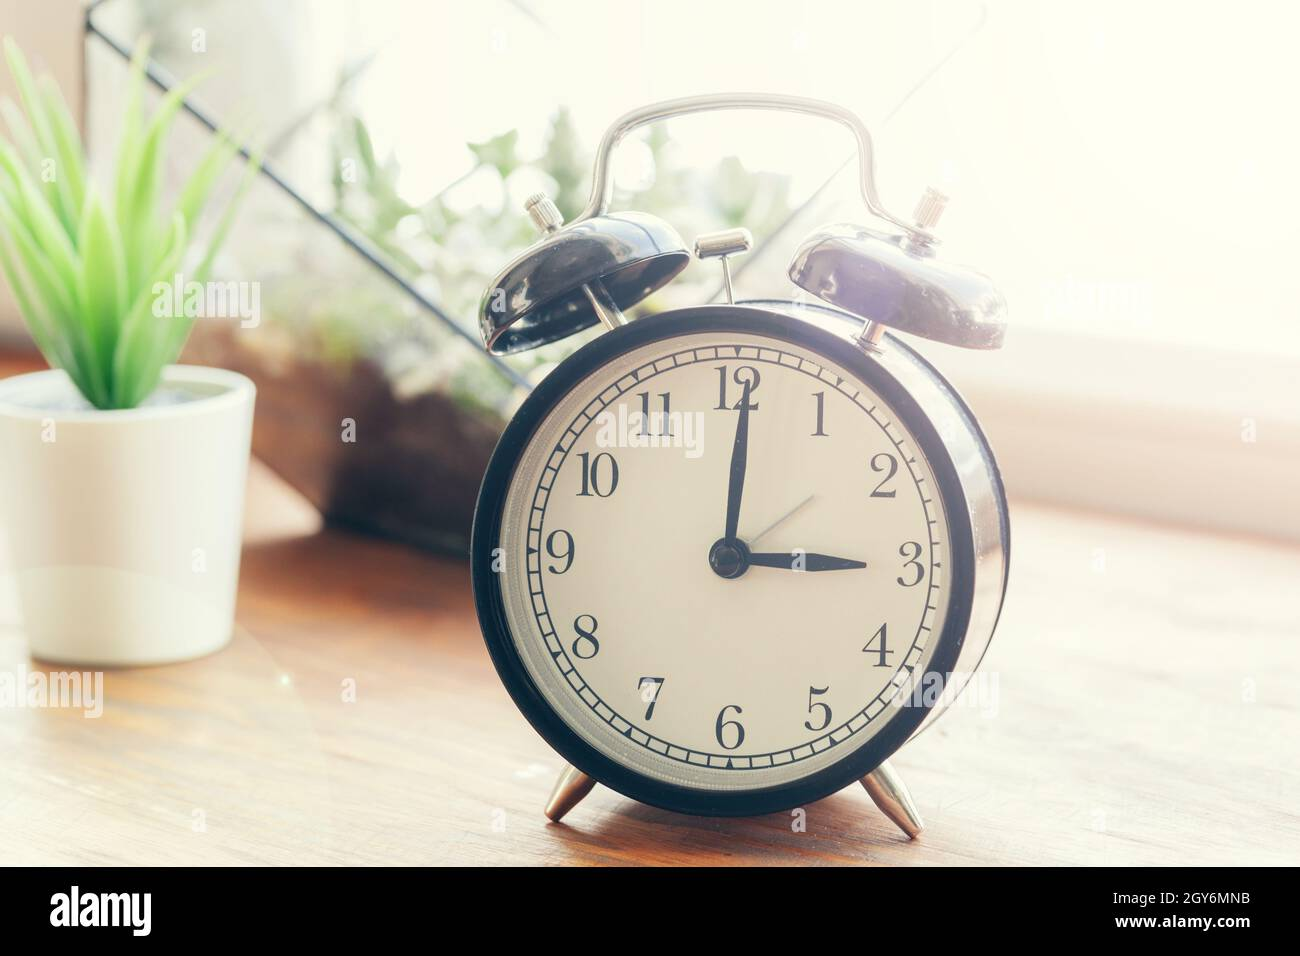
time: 3:00
